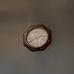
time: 2:40
